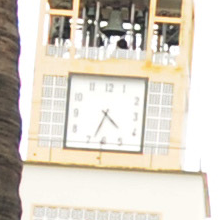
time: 4:33
